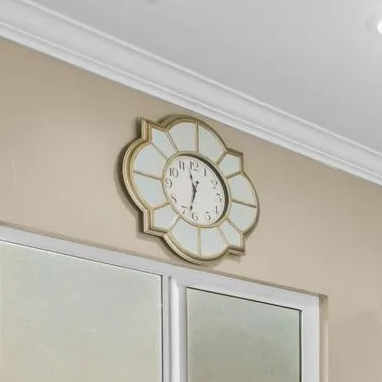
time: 11:32
